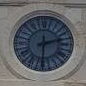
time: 2:30
